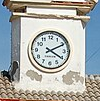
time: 4:10
